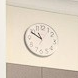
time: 10:49
